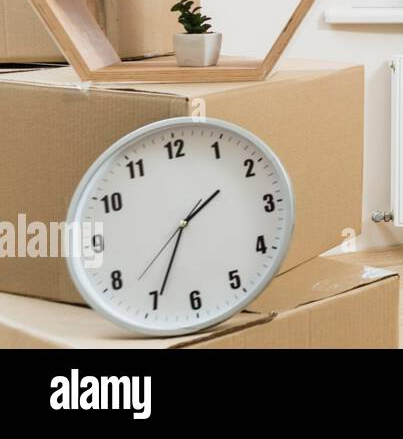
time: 1:34
